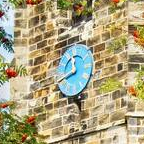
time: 11:40
